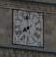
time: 7:57
